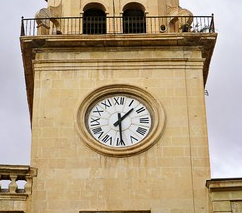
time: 1:29
